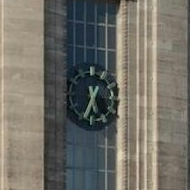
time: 5:34
